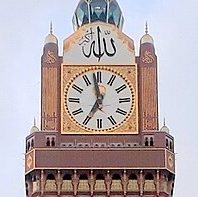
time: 6:58
